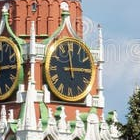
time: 2:58
